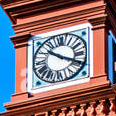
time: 10:19
